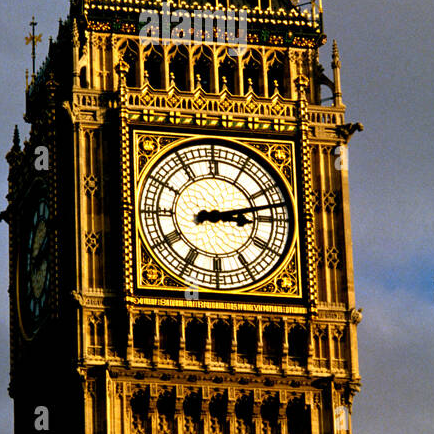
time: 3:12
